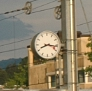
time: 8:16
